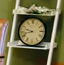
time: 9:42
